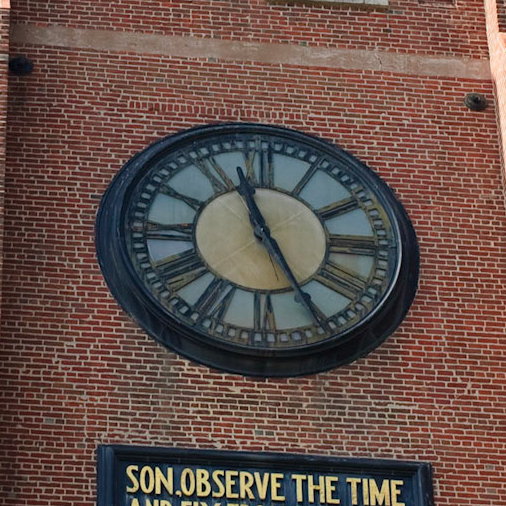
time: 11:25
